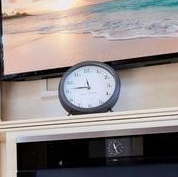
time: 11:46
